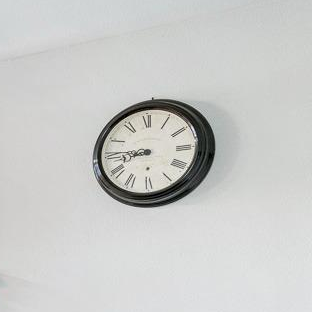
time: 8:45
